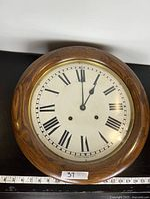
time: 1:00
